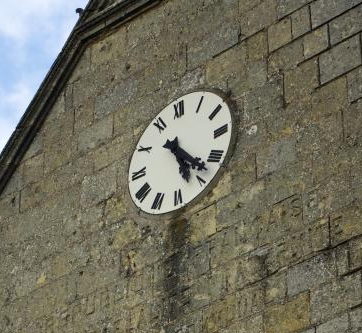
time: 5:22
